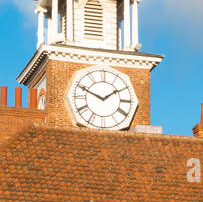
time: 1:49
